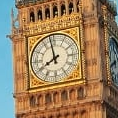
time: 7:58
